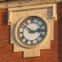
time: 2:52
